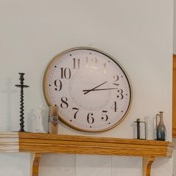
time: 2:13
